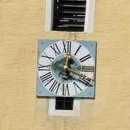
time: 12:18
